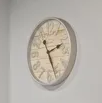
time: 2:25
